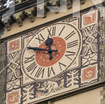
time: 11:49
